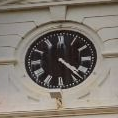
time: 4:22
